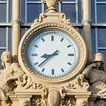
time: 8:38
